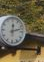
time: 12:12
